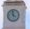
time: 3:58
